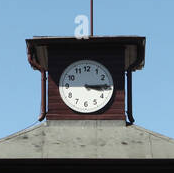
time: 3:14
